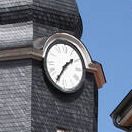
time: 1:35
